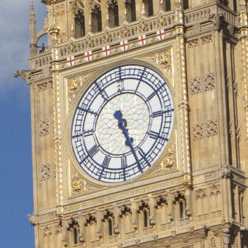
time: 5:26
